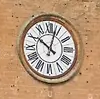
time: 10:03
